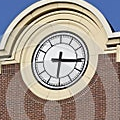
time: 6:15
